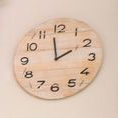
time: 1:58
